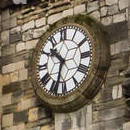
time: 10:33
